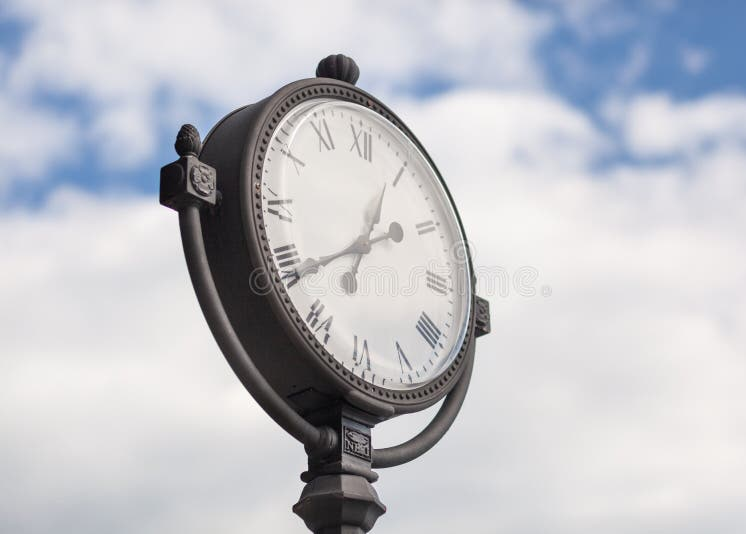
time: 6:39
